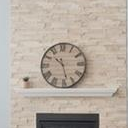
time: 10:27
